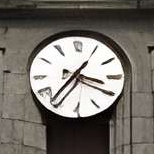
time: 3:36
